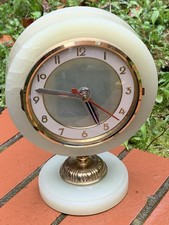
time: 4:46
